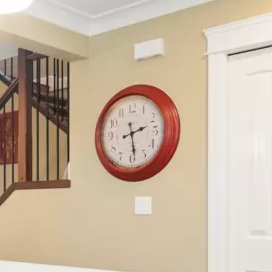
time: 2:28
